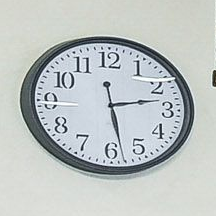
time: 2:28
